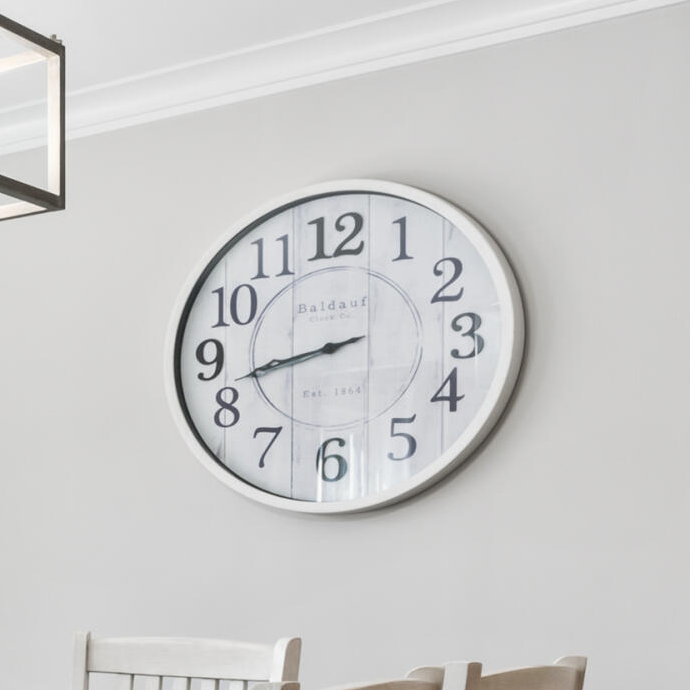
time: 8:42
